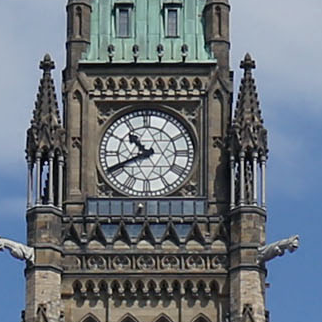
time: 10:40
